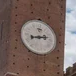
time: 8:12
